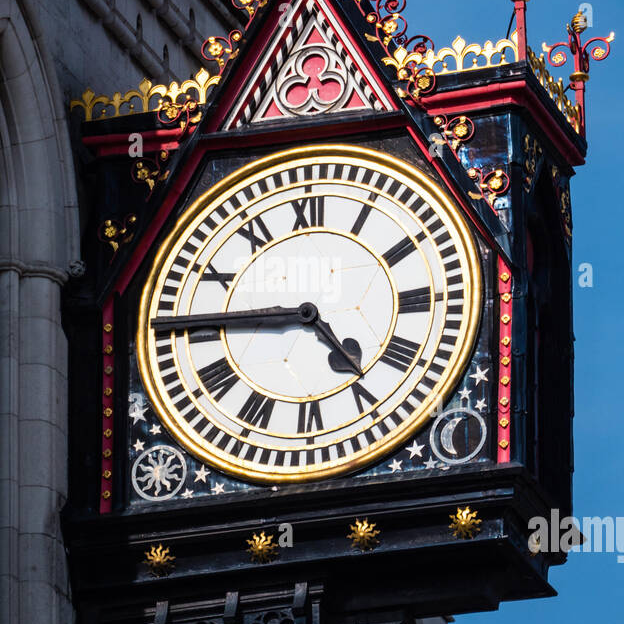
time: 4:45
